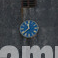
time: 11:38
